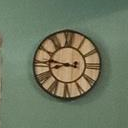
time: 8:46
